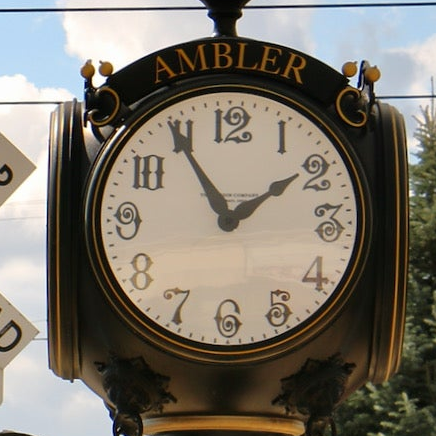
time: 1:54
